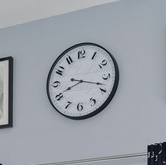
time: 8:17
